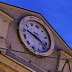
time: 10:22
